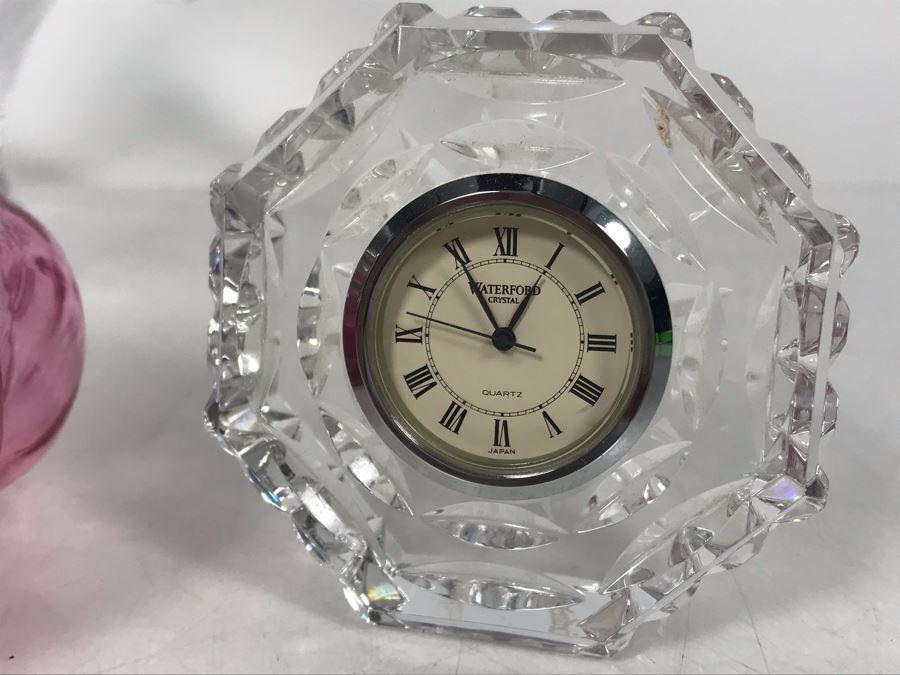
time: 12:55
